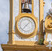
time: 7:07
